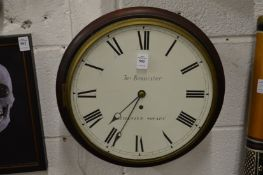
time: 7:34
